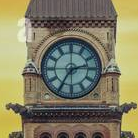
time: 2:35
